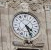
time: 4:26
